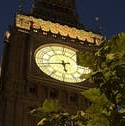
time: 5:42
